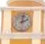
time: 2:01
